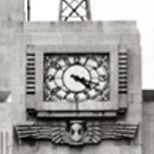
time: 4:18
